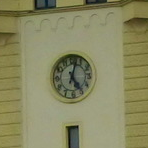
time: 5:02
